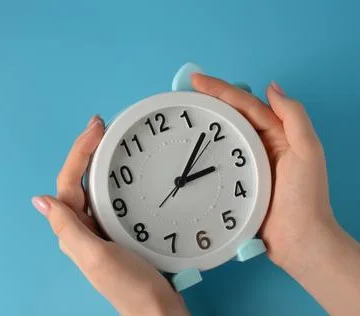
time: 3:08
